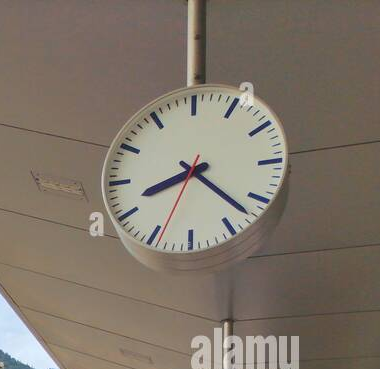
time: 8:22
